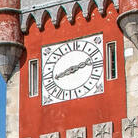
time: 8:12
